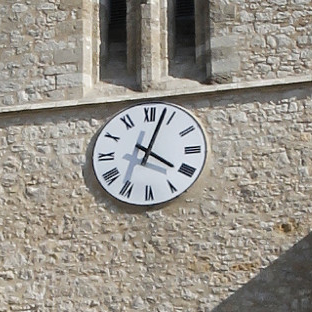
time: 4:03
